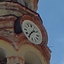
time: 1:36
